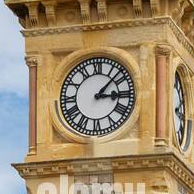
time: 3:07
